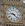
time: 9:22
